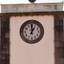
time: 12:59
